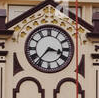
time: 3:36
